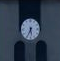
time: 5:34
